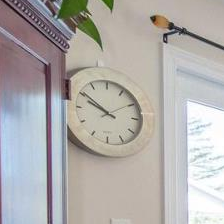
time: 9:50
